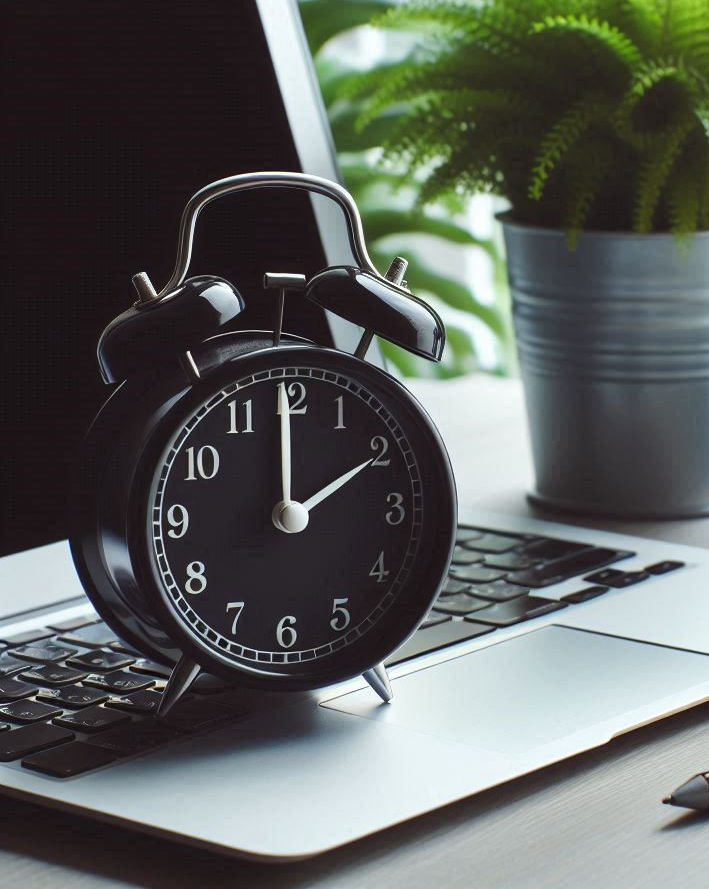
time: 2:00
